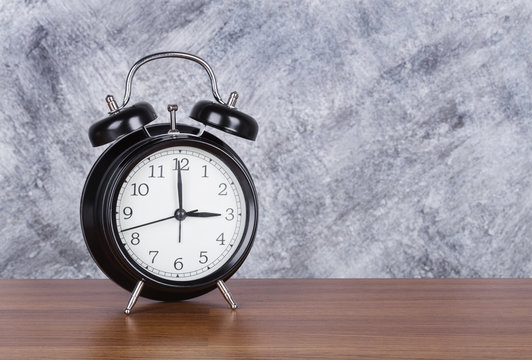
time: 2:59
